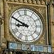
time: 8:49
